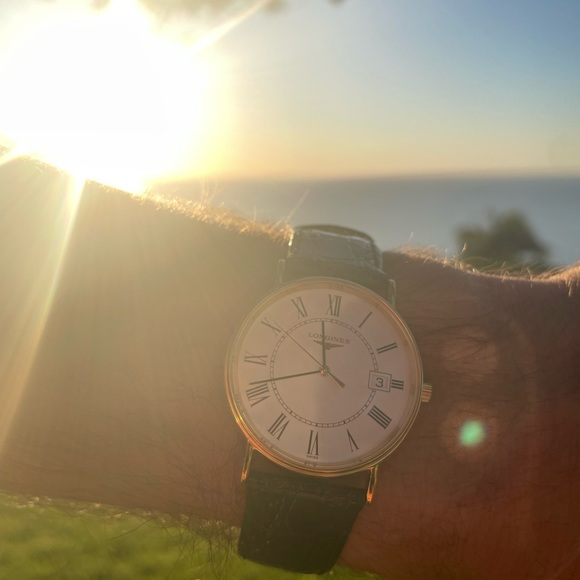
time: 11:41
